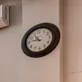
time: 10:46
